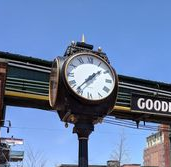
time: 1:36
